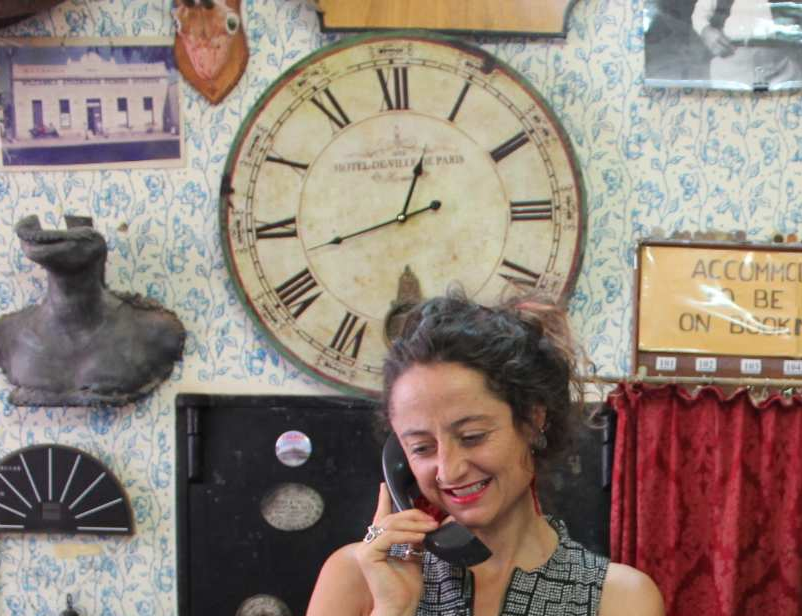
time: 12:42
